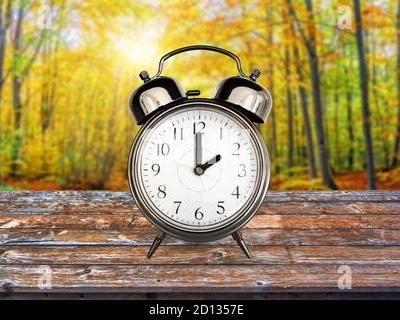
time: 1:59
